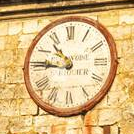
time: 10:45
